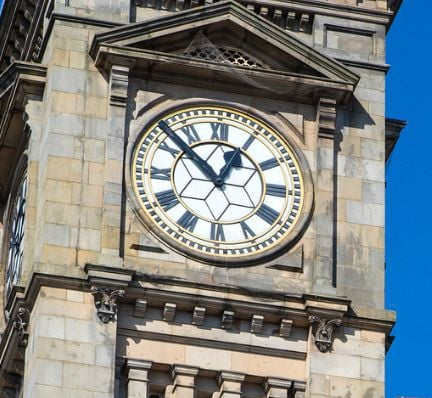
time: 12:52
